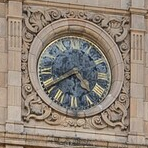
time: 4:39
